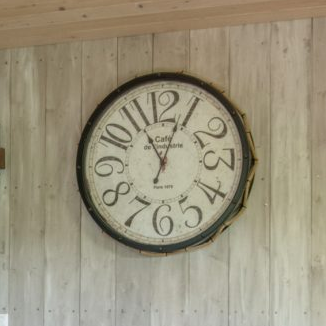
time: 11:04
